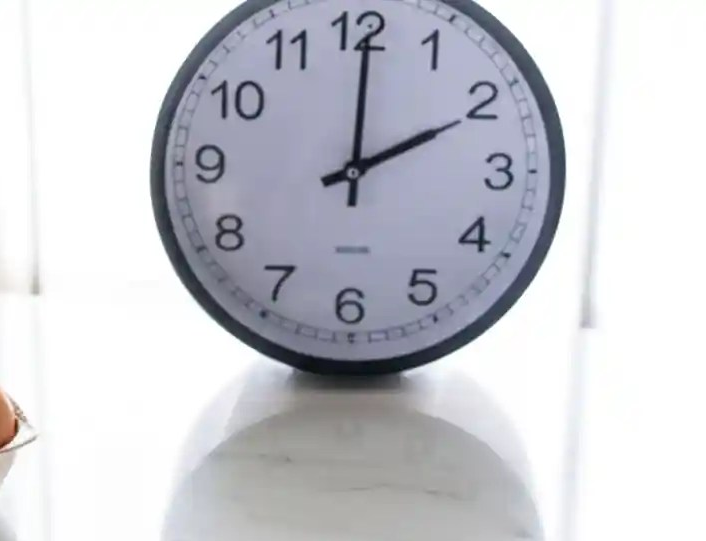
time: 2:00
